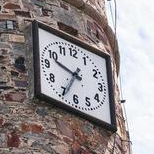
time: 9:34
